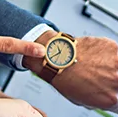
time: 11:40
